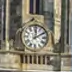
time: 12:09
